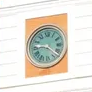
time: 9:21
